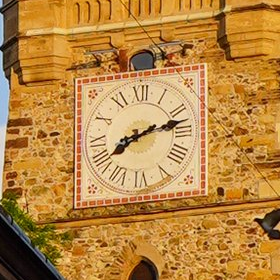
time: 8:12
